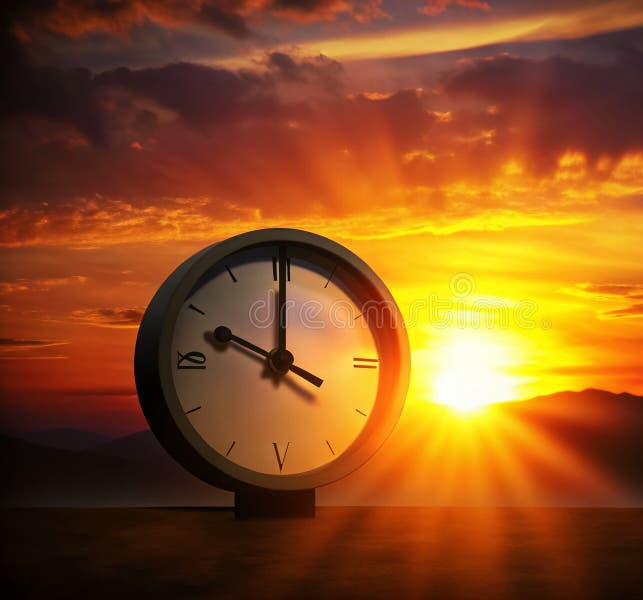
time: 10:00
